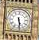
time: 5:28
